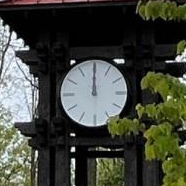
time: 12:00
